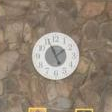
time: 1:56
